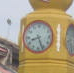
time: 8:26
